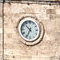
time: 10:34
